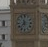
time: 11:37
